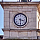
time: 3:29
